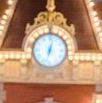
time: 12:32
